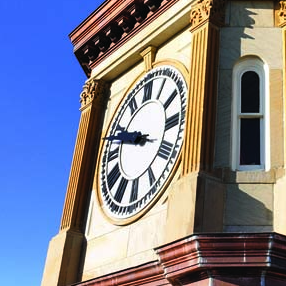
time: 9:47
